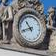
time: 10:41
